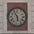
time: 5:54
